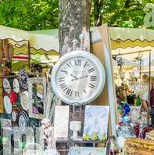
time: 10:12
